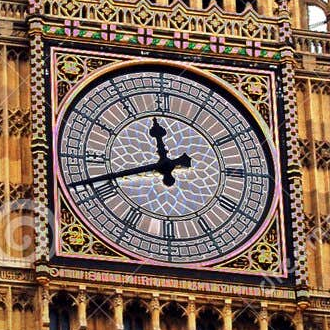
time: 11:41
